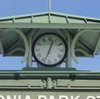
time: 12:33
